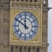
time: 11:50
